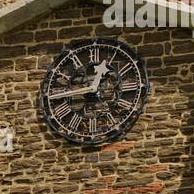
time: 12:44
